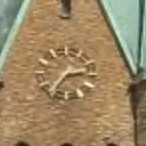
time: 2:36
